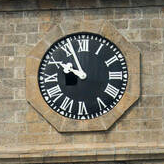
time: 9:56
